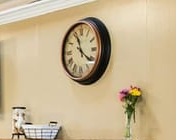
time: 11:21
